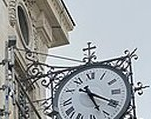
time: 5:20
